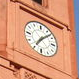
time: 7:07
